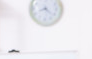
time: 8:21
